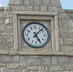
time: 5:07
